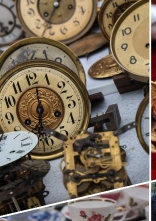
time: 7:01
